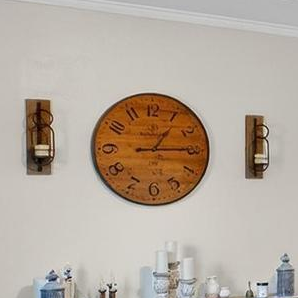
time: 1:14
